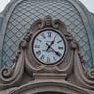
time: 1:20
